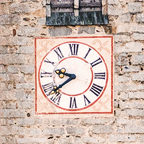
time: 9:38
